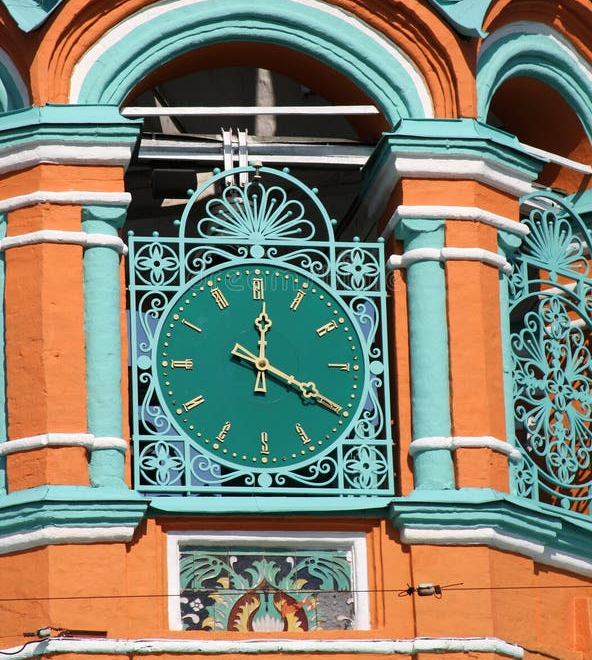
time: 12:19
